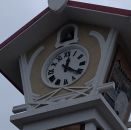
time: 12:20
